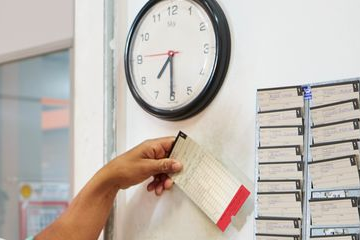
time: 7:30
